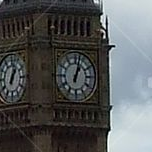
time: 1:02
